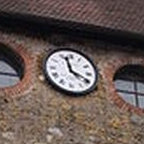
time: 3:57
